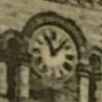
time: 11:07
